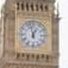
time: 12:57
